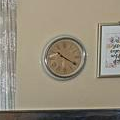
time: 10:20
